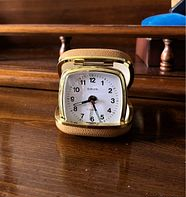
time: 8:26
